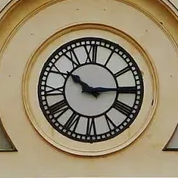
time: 10:14
